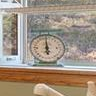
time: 5:59
